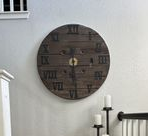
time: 6:29
